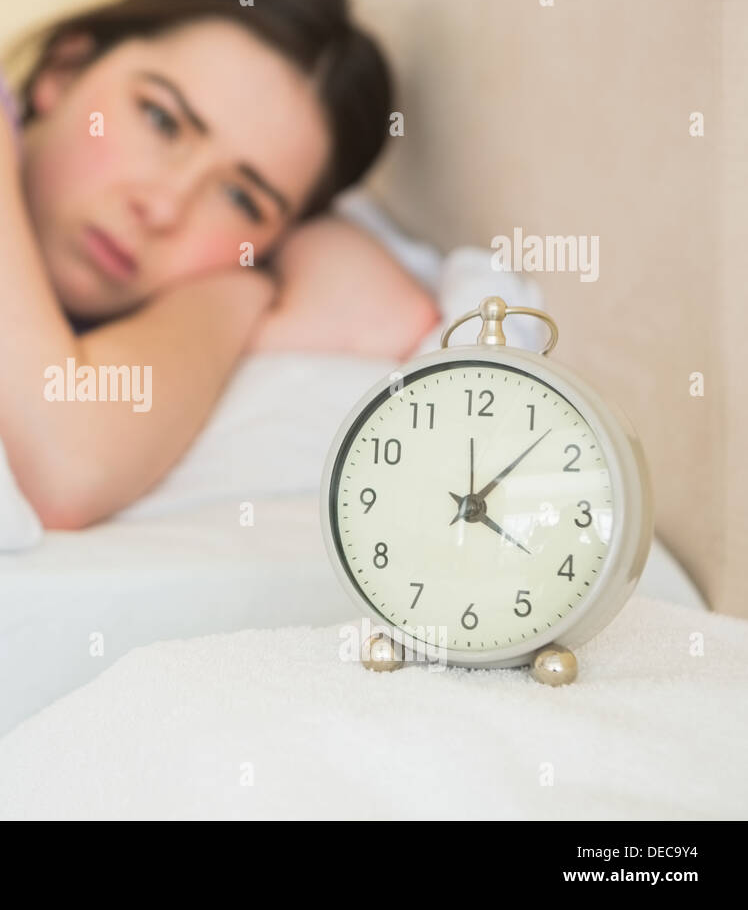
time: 4:07
